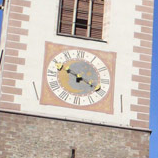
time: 3:48
